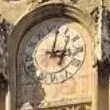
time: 3:01
